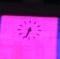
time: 6:33
